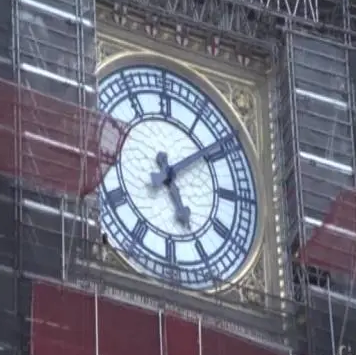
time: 5:08
